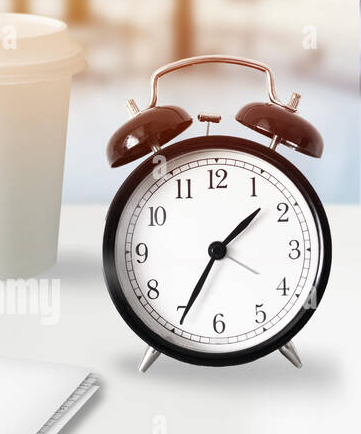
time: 1:34
